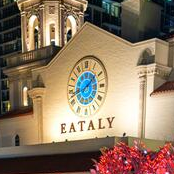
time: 1:42
